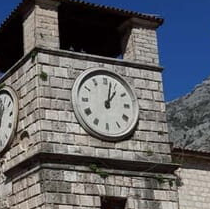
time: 1:02
